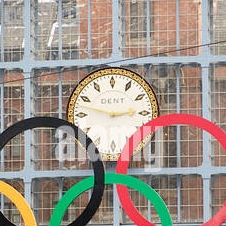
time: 2:47
